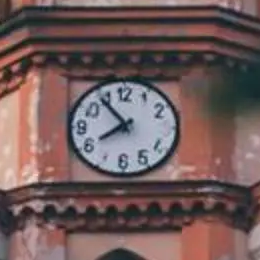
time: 7:53
